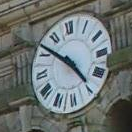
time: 4:51
